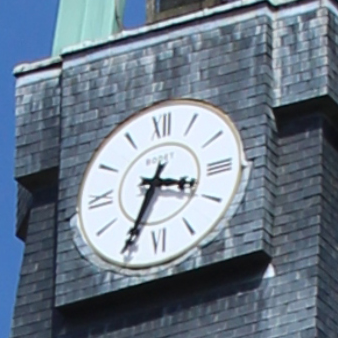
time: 3:34
